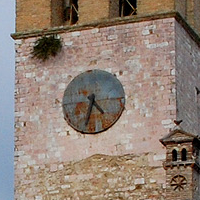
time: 4:33
